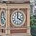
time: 4:00
